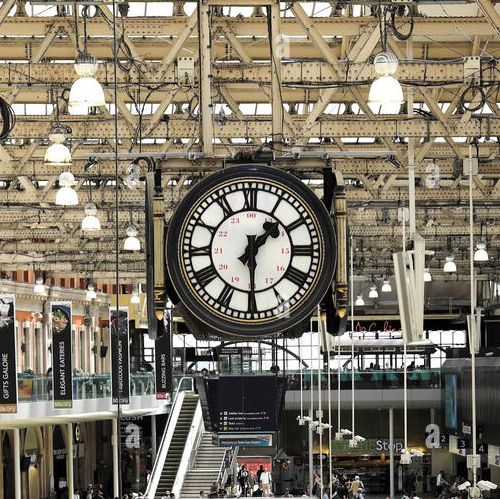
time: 1:29
